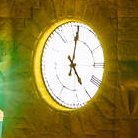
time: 5:01
